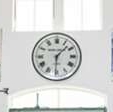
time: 1:30
